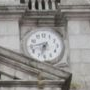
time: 8:32
